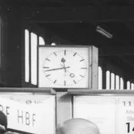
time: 11:42
